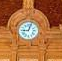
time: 9:03
